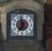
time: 6:58
